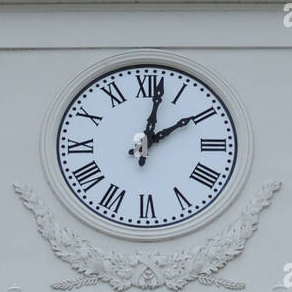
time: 2:01
